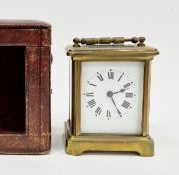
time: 2:24
